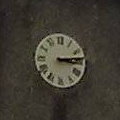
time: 3:13
